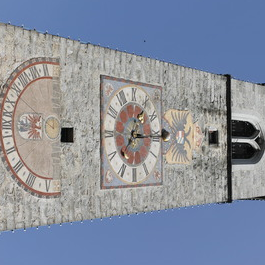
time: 7:15
